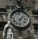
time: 6:06
